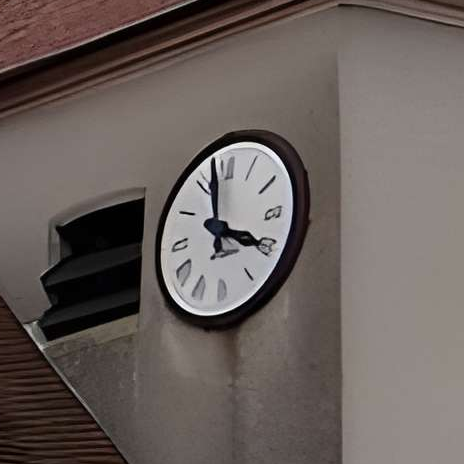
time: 3:58
